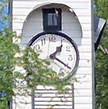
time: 1:20
